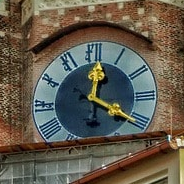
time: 12:20
